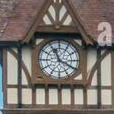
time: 11:19
